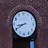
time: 8:40
